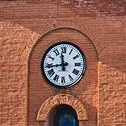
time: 11:43
